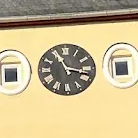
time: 11:17
